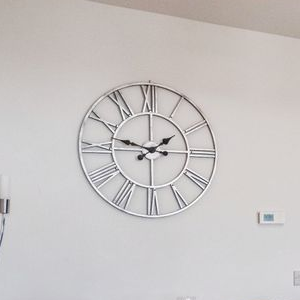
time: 1:47
